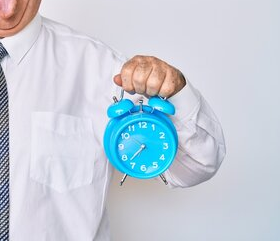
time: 7:37
